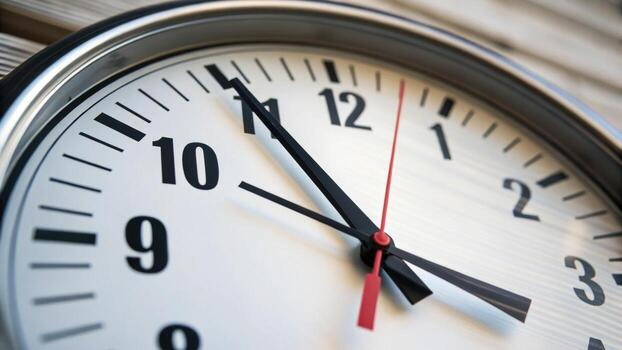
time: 3:55
